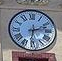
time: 2:31
